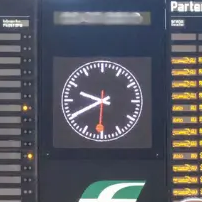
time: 9:40
